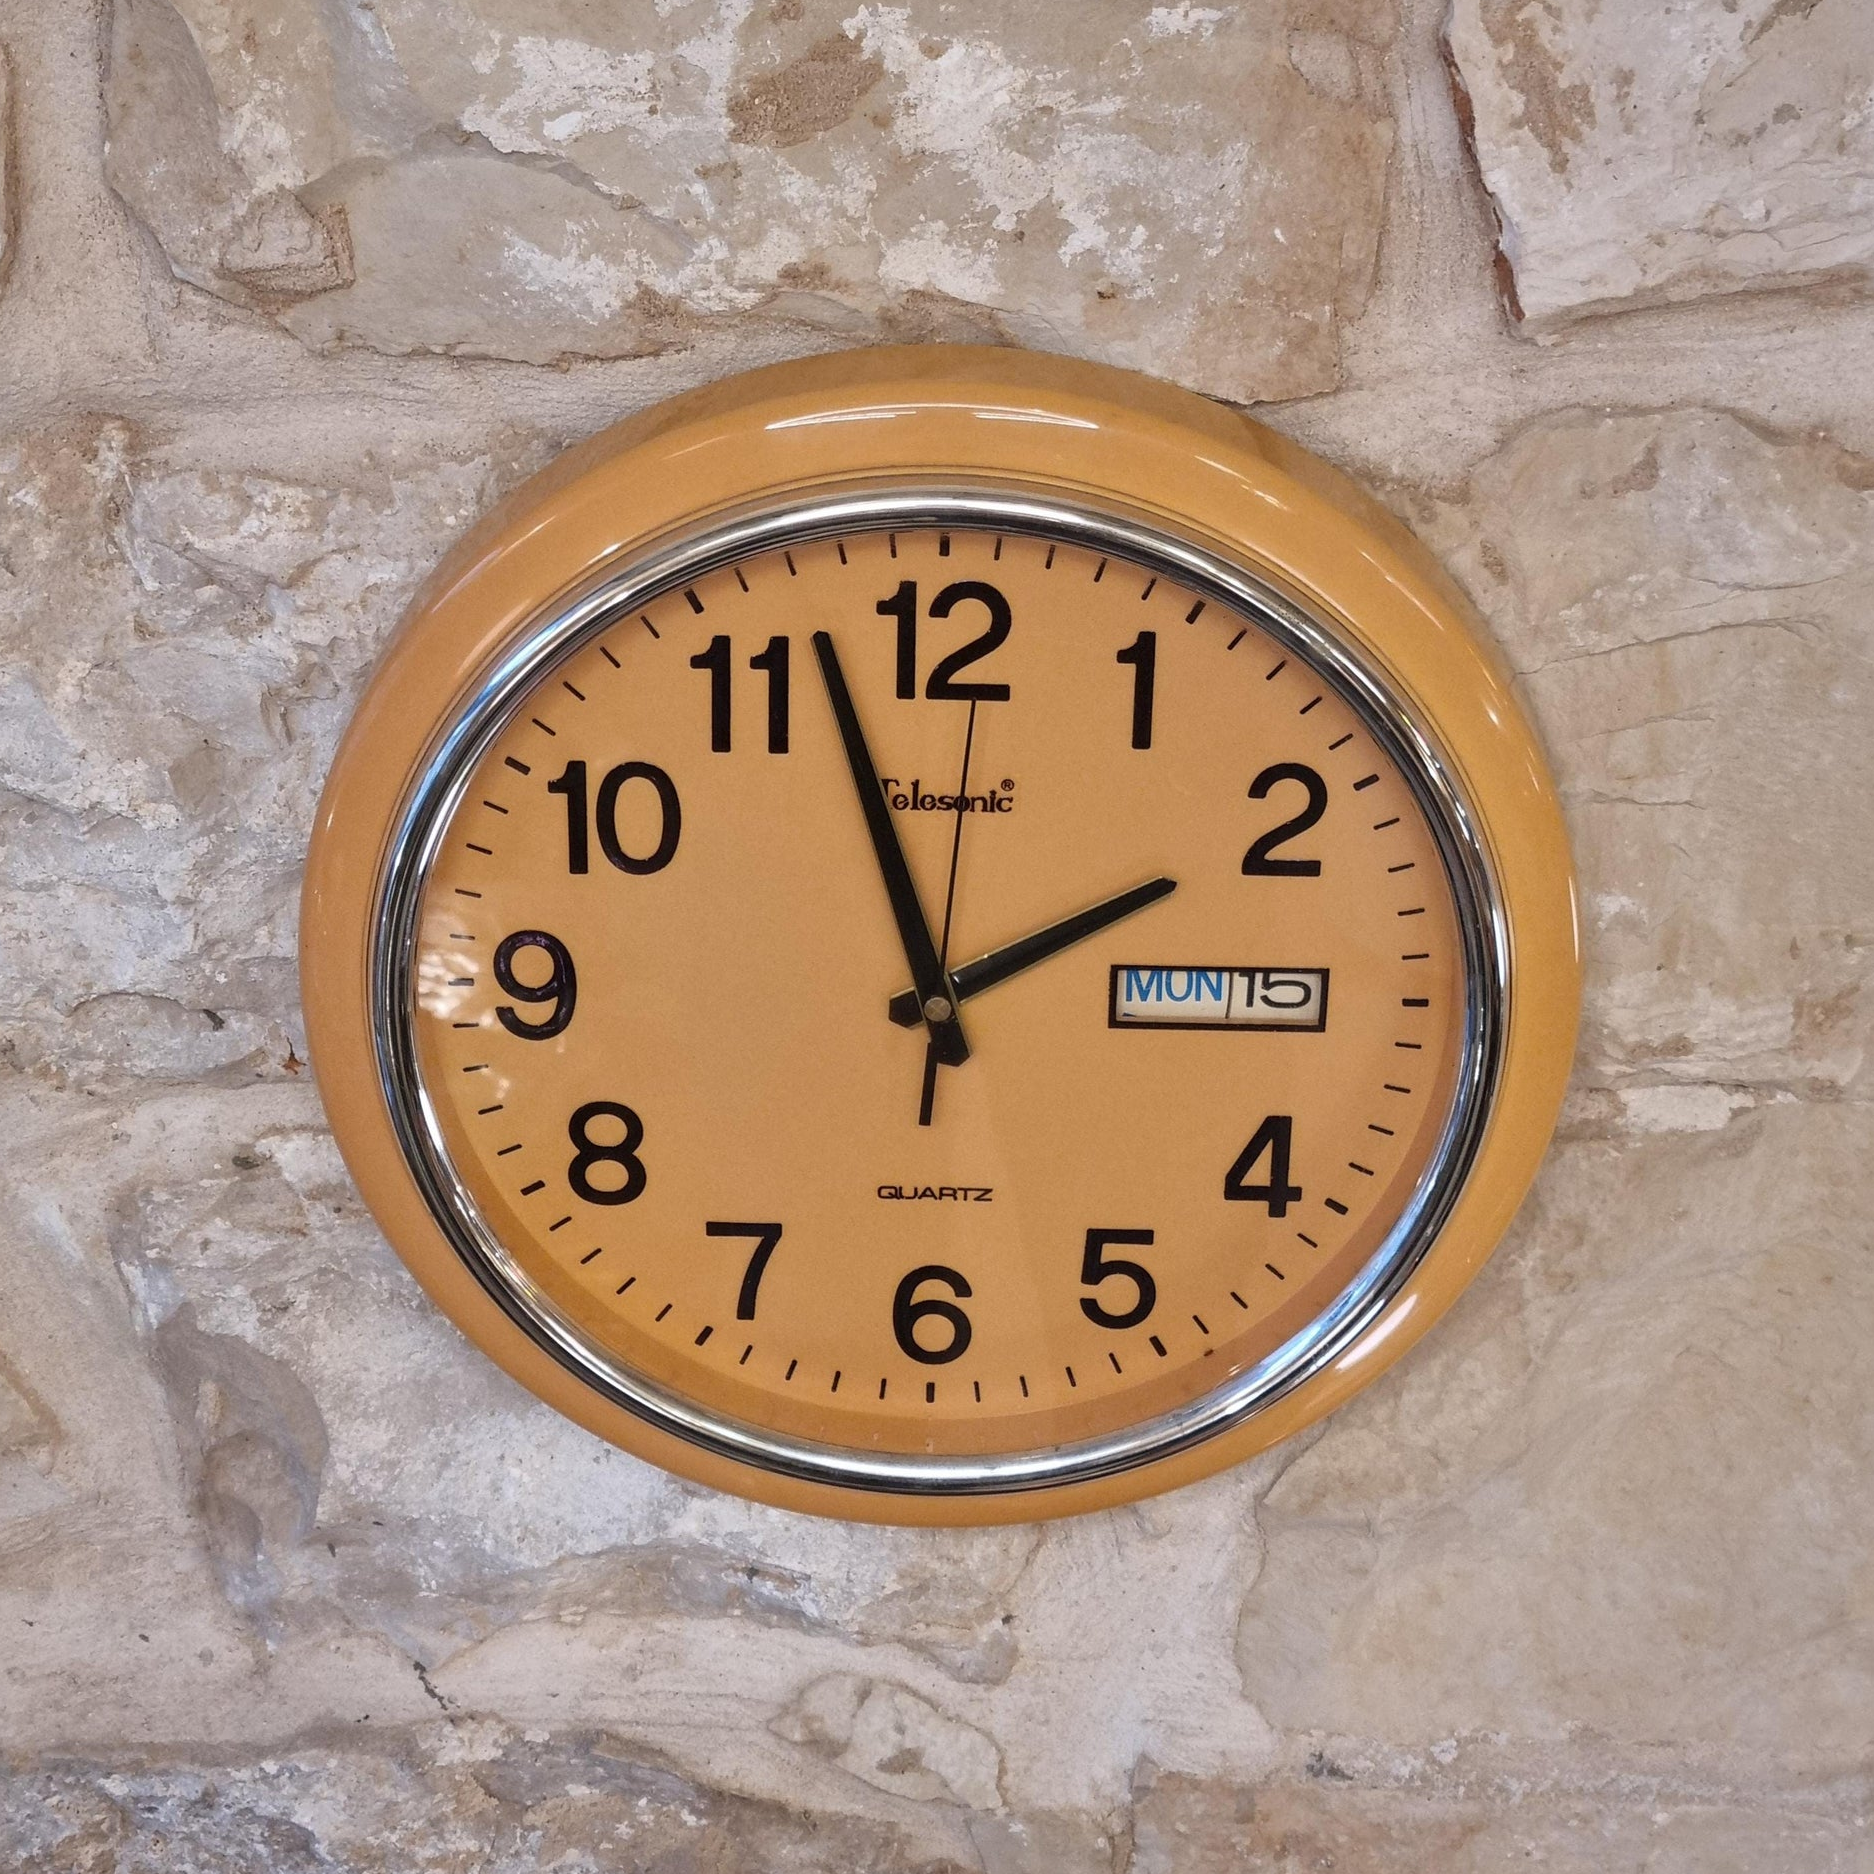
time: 1:57
